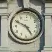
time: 4:49
